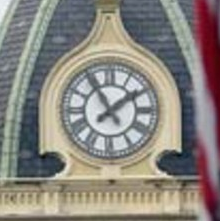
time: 1:54
